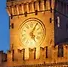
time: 5:04
